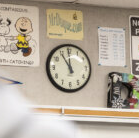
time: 10:59
